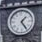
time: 1:24
